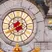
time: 7:40
